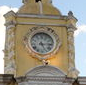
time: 5:14
